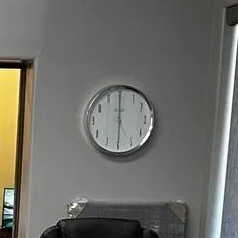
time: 5:59
